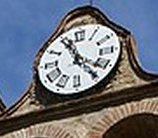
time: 11:22
